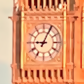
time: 9:04
